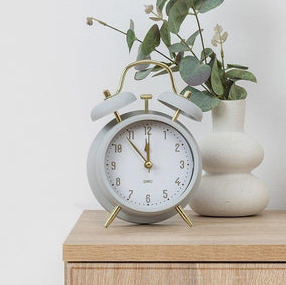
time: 11:53
